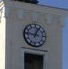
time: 12:46
